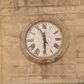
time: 11:29
